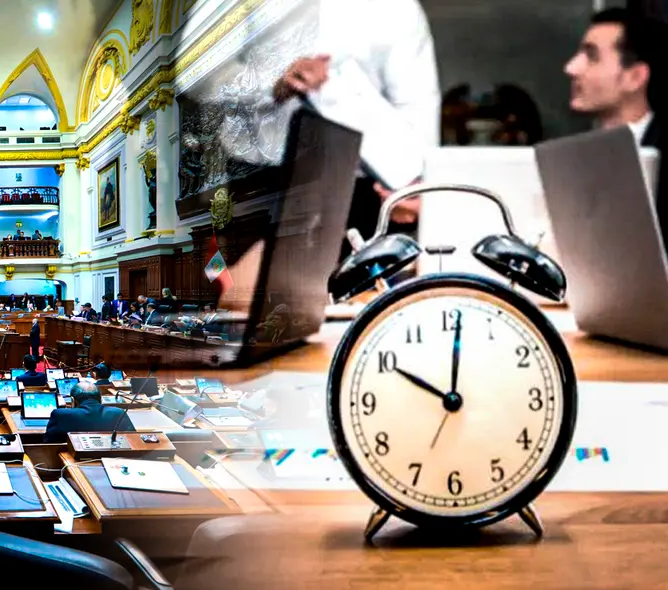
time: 10:00
